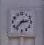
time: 2:37
